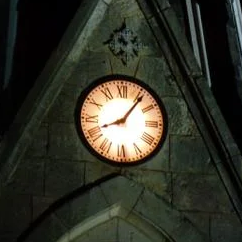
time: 8:06
